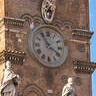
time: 3:55
